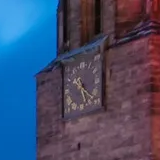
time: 5:21
